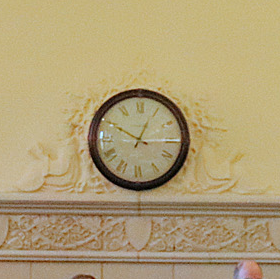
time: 12:49
